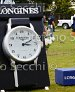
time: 2:15
